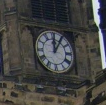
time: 12:05
